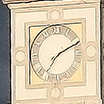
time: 7:11
